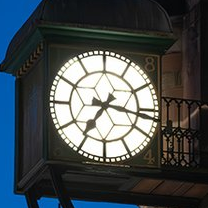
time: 7:16
